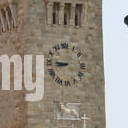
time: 8:46
